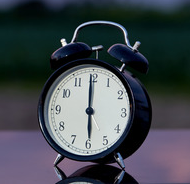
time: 5:59
